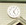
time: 5:05
